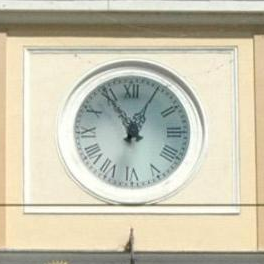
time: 12:54
